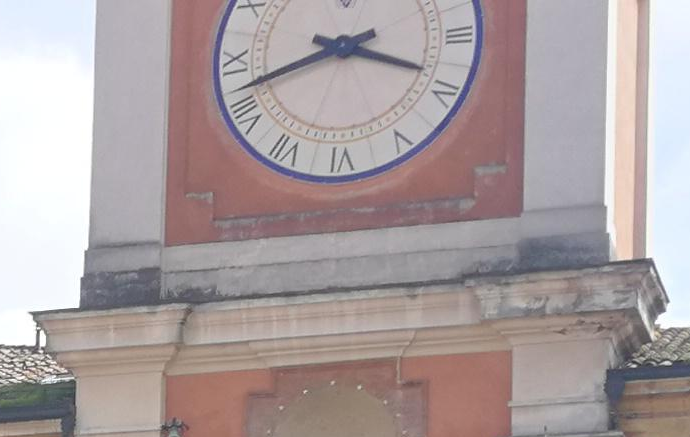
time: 3:42
